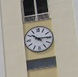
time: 10:14
